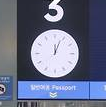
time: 12:04
